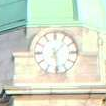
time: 1:28
